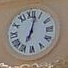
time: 7:02
